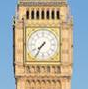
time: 7:35
